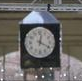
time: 12:19
